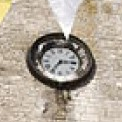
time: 7:15
